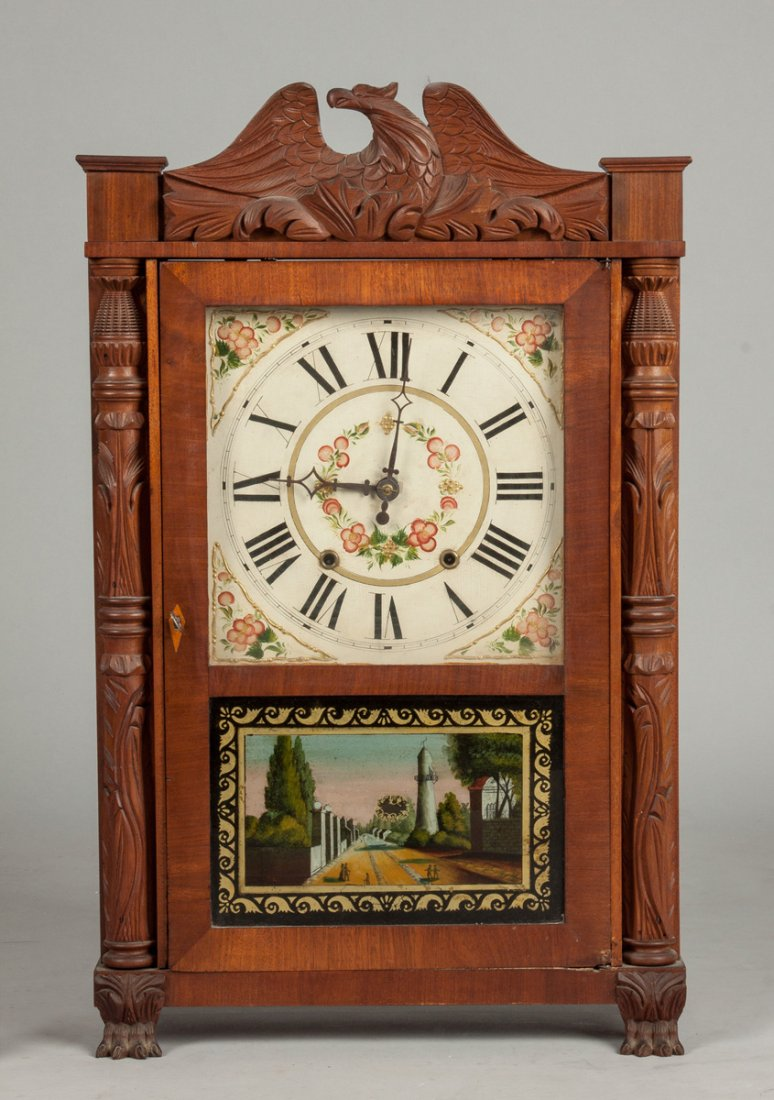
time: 9:01
